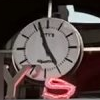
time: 4:56
